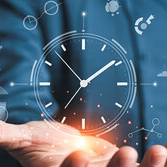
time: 1:52
